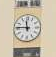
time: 11:45
